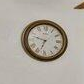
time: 6:47
